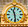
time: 11:29
